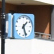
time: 1:26
